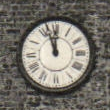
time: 11:56
